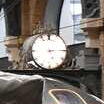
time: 5:14
